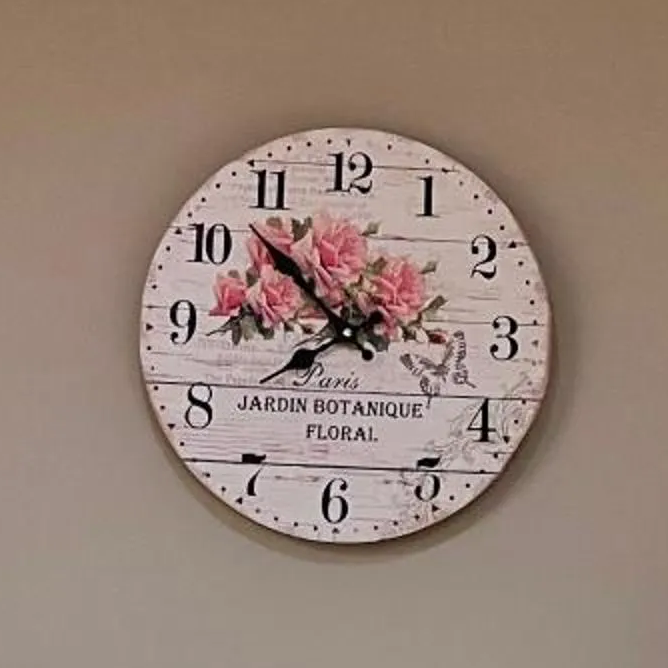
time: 7:52
